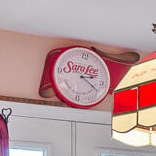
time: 2:19
